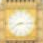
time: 8:14
